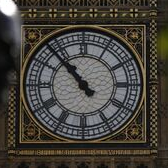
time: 10:52
